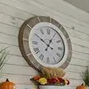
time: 12:49
